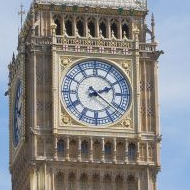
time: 2:21
